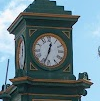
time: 12:33
